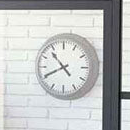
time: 10:40
